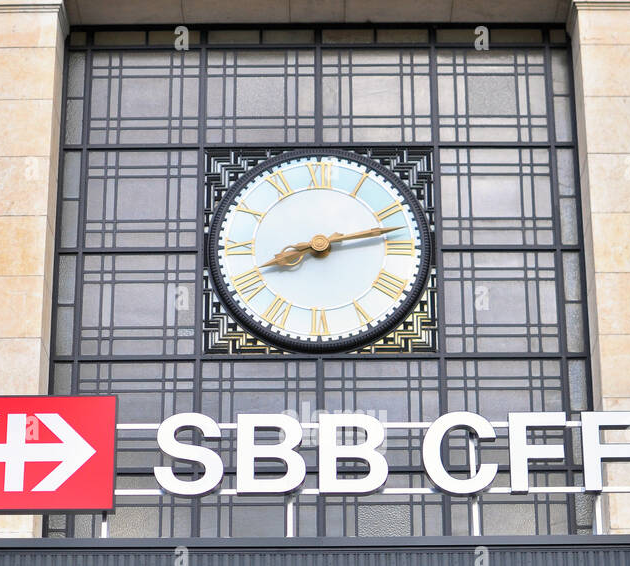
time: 8:12
